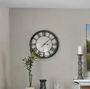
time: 3:08
